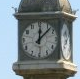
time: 12:07
